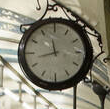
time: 11:42
